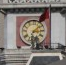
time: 3:08
